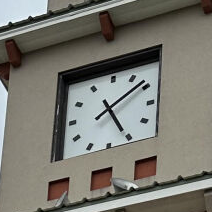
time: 5:08
